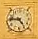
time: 4:46
